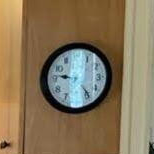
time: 9:23
